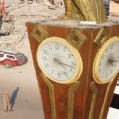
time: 4:17
